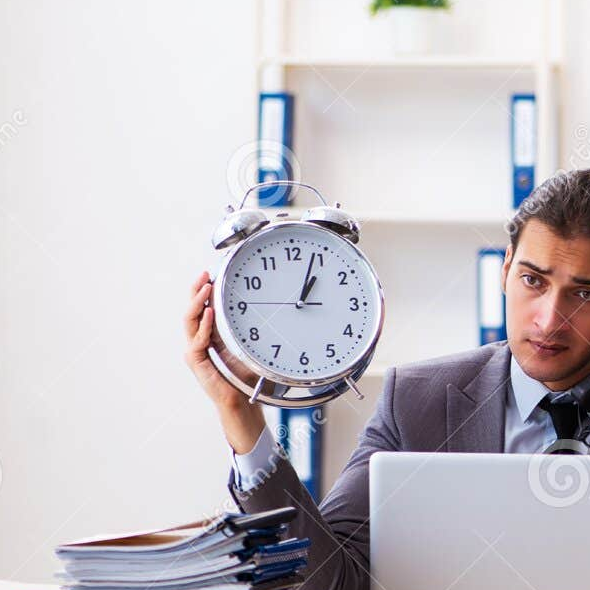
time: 1:03
